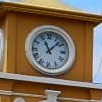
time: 11:07
